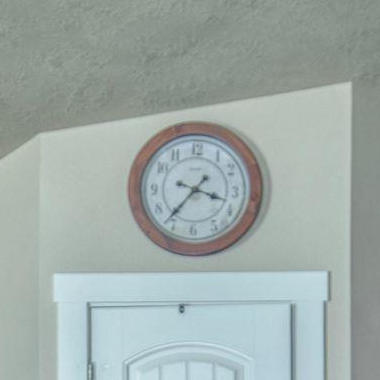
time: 3:36
